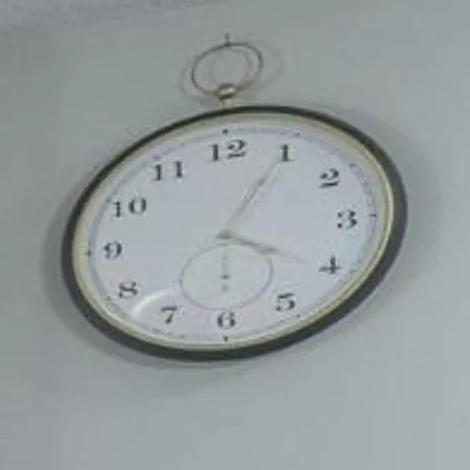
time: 4:05
